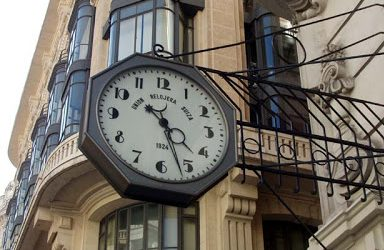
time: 10:26
